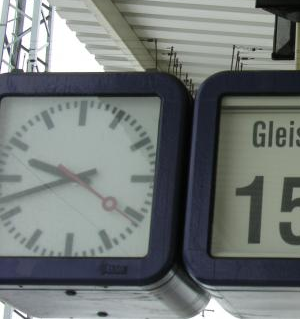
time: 9:42
